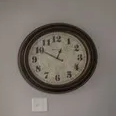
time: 12:50
